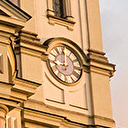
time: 9:01
